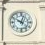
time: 10:02
